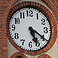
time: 5:20
